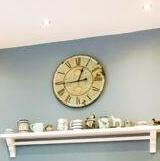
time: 12:44
